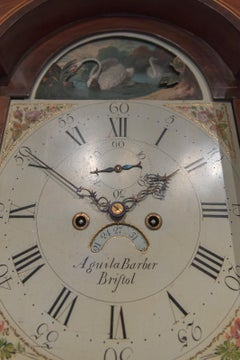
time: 1:50
